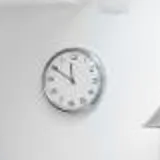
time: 11:50
